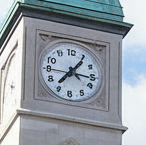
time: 7:16
